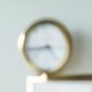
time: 4:44
